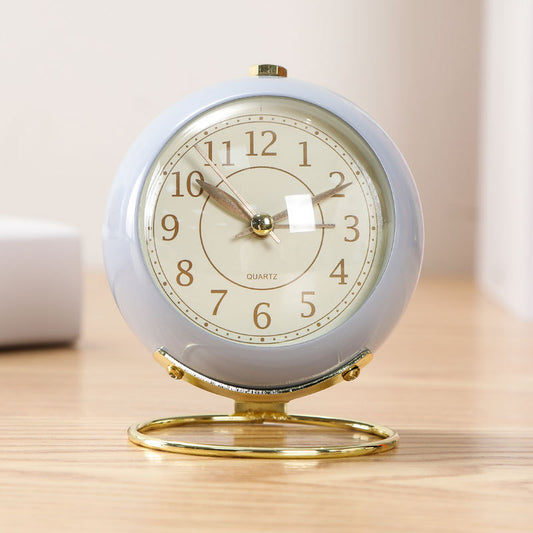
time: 2:50
